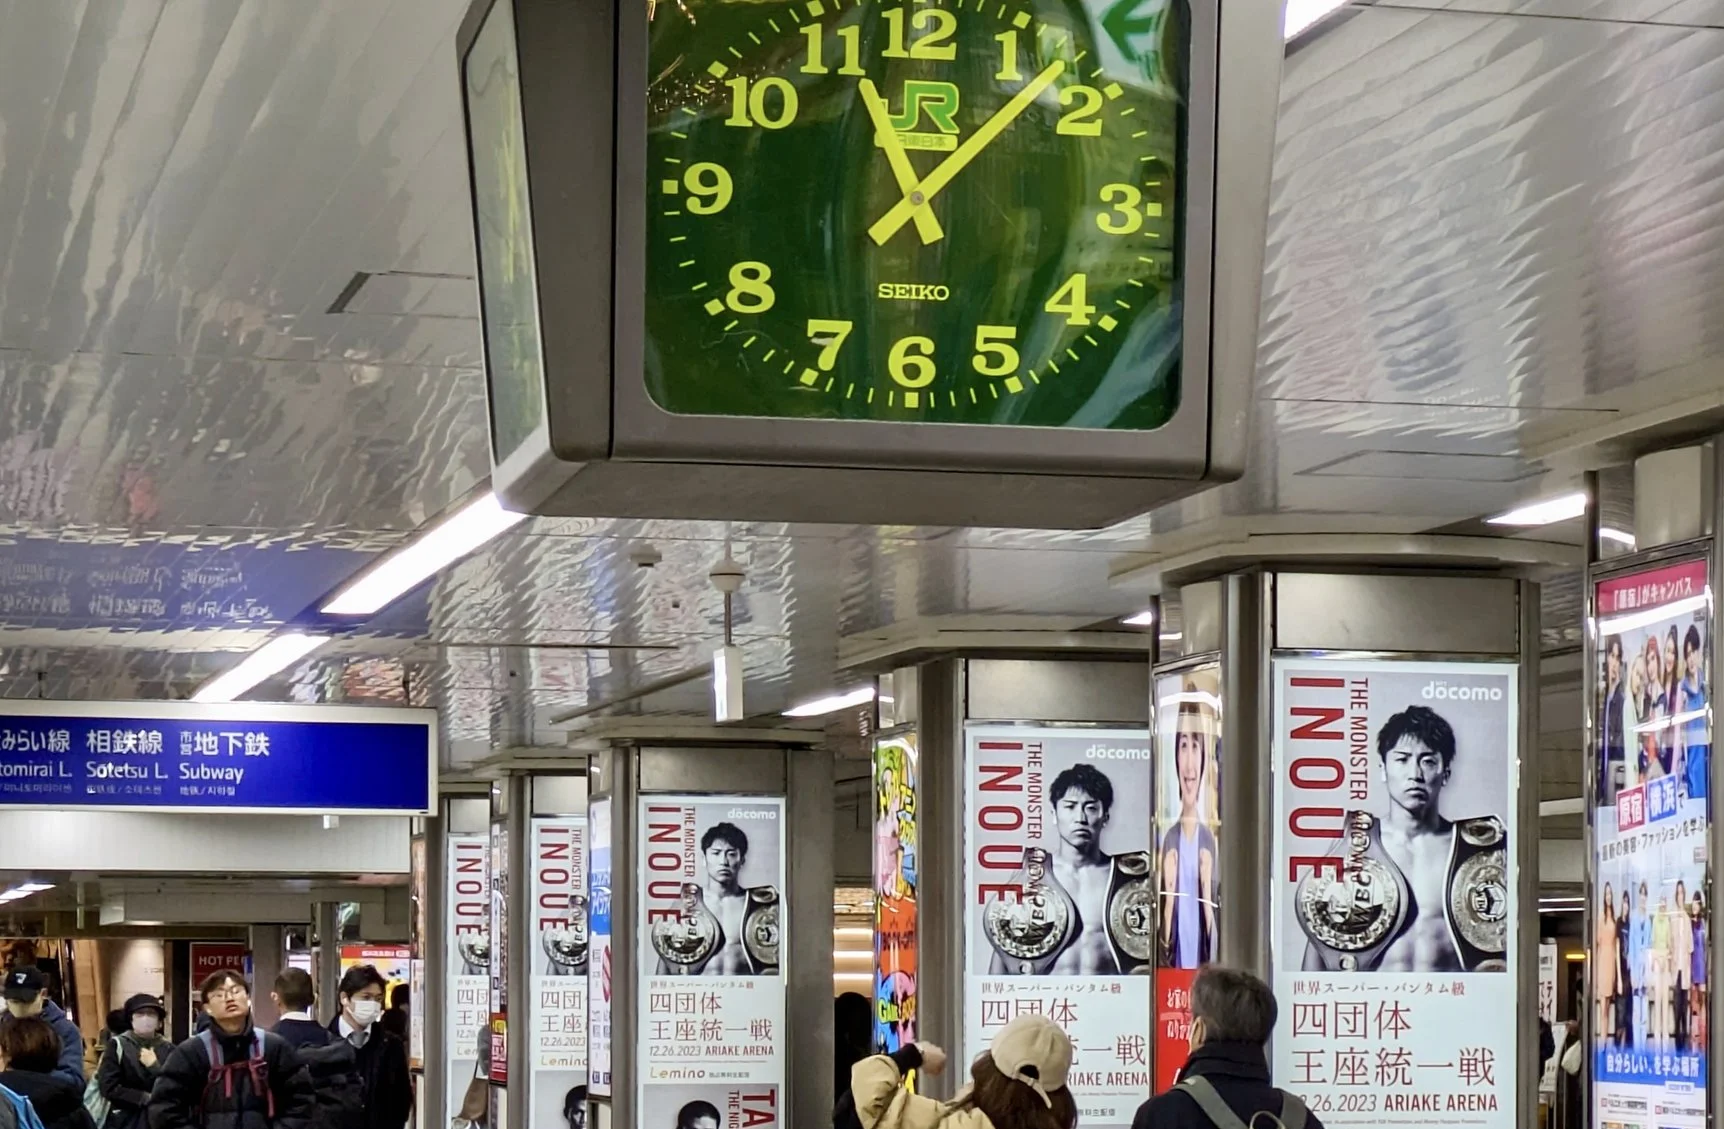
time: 11:07
